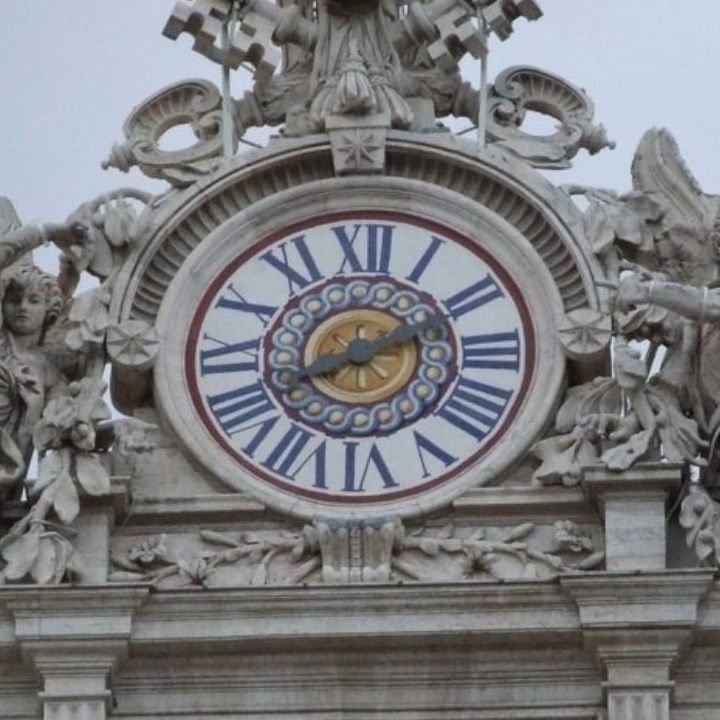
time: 8:11
